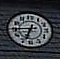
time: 6:44
